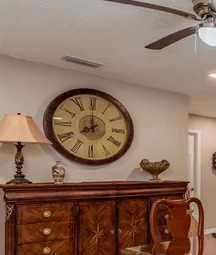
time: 7:59
